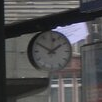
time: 1:50
